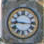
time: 9:16
